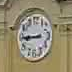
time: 8:44
